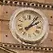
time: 2:06
